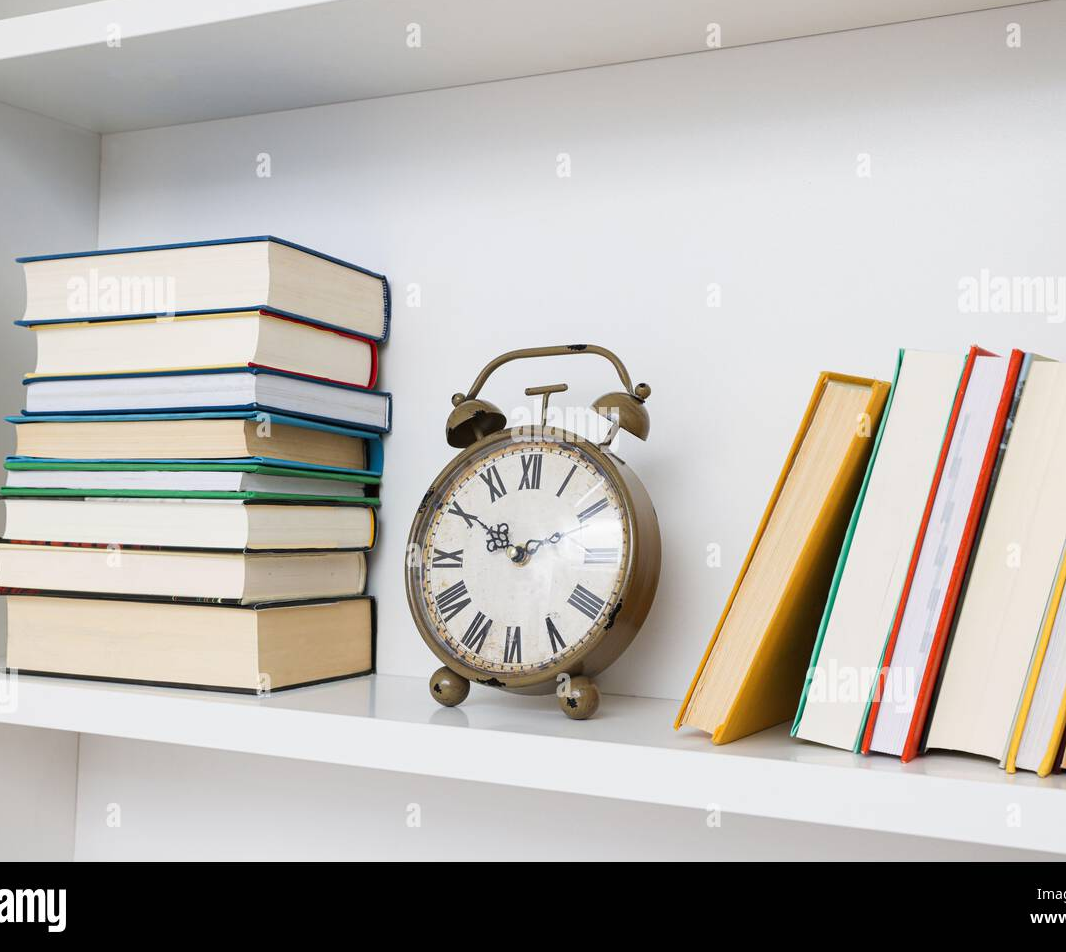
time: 9:50
